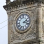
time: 2:18
